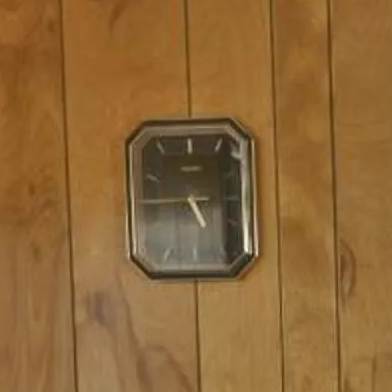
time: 4:44
